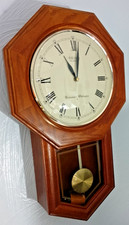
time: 11:01
